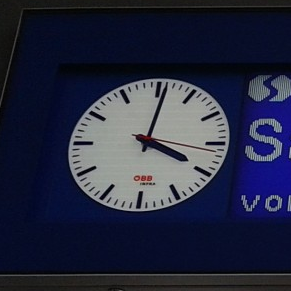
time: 4:01
